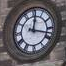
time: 12:17
